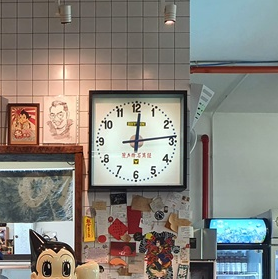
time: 12:13
